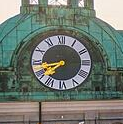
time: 7:43
